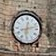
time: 6:12
